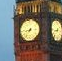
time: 8:37
